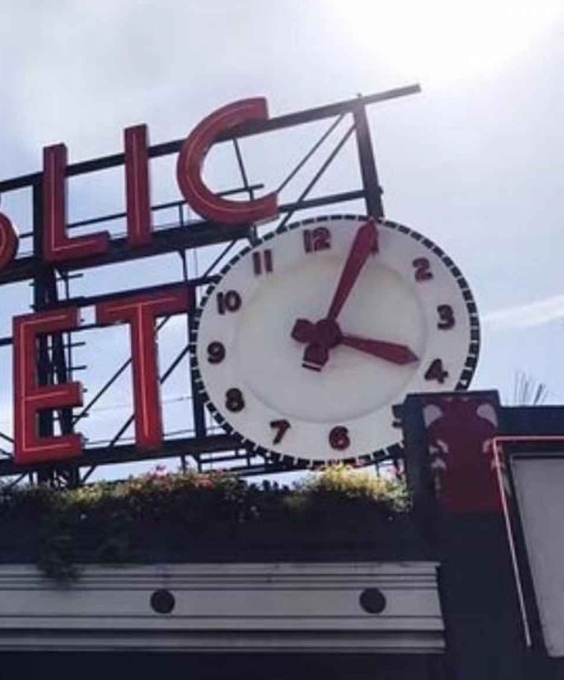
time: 4:04
